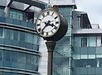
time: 3:37
